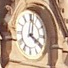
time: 4:01
